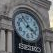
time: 3:54
